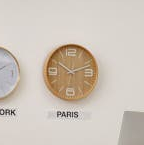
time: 10:12
